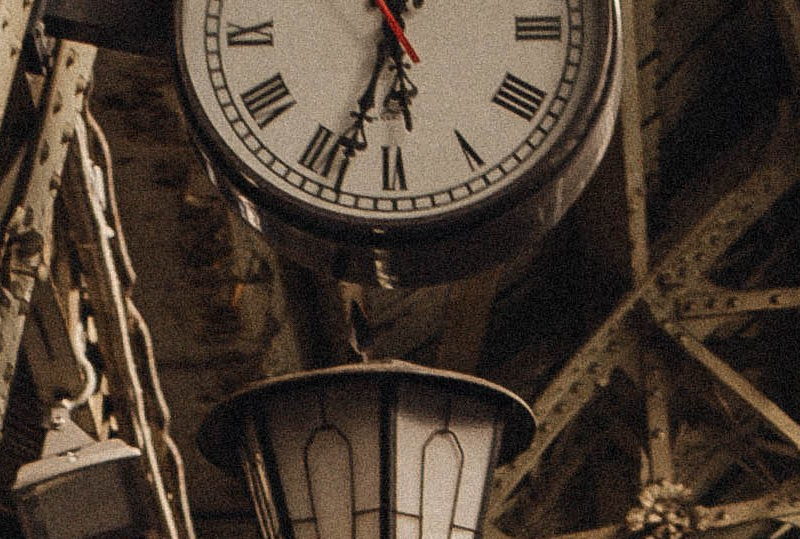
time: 5:33
